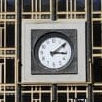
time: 3:09
